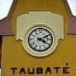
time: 4:10
